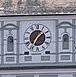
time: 1:34
